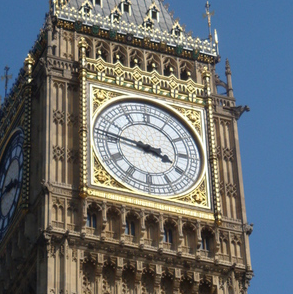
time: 3:46
